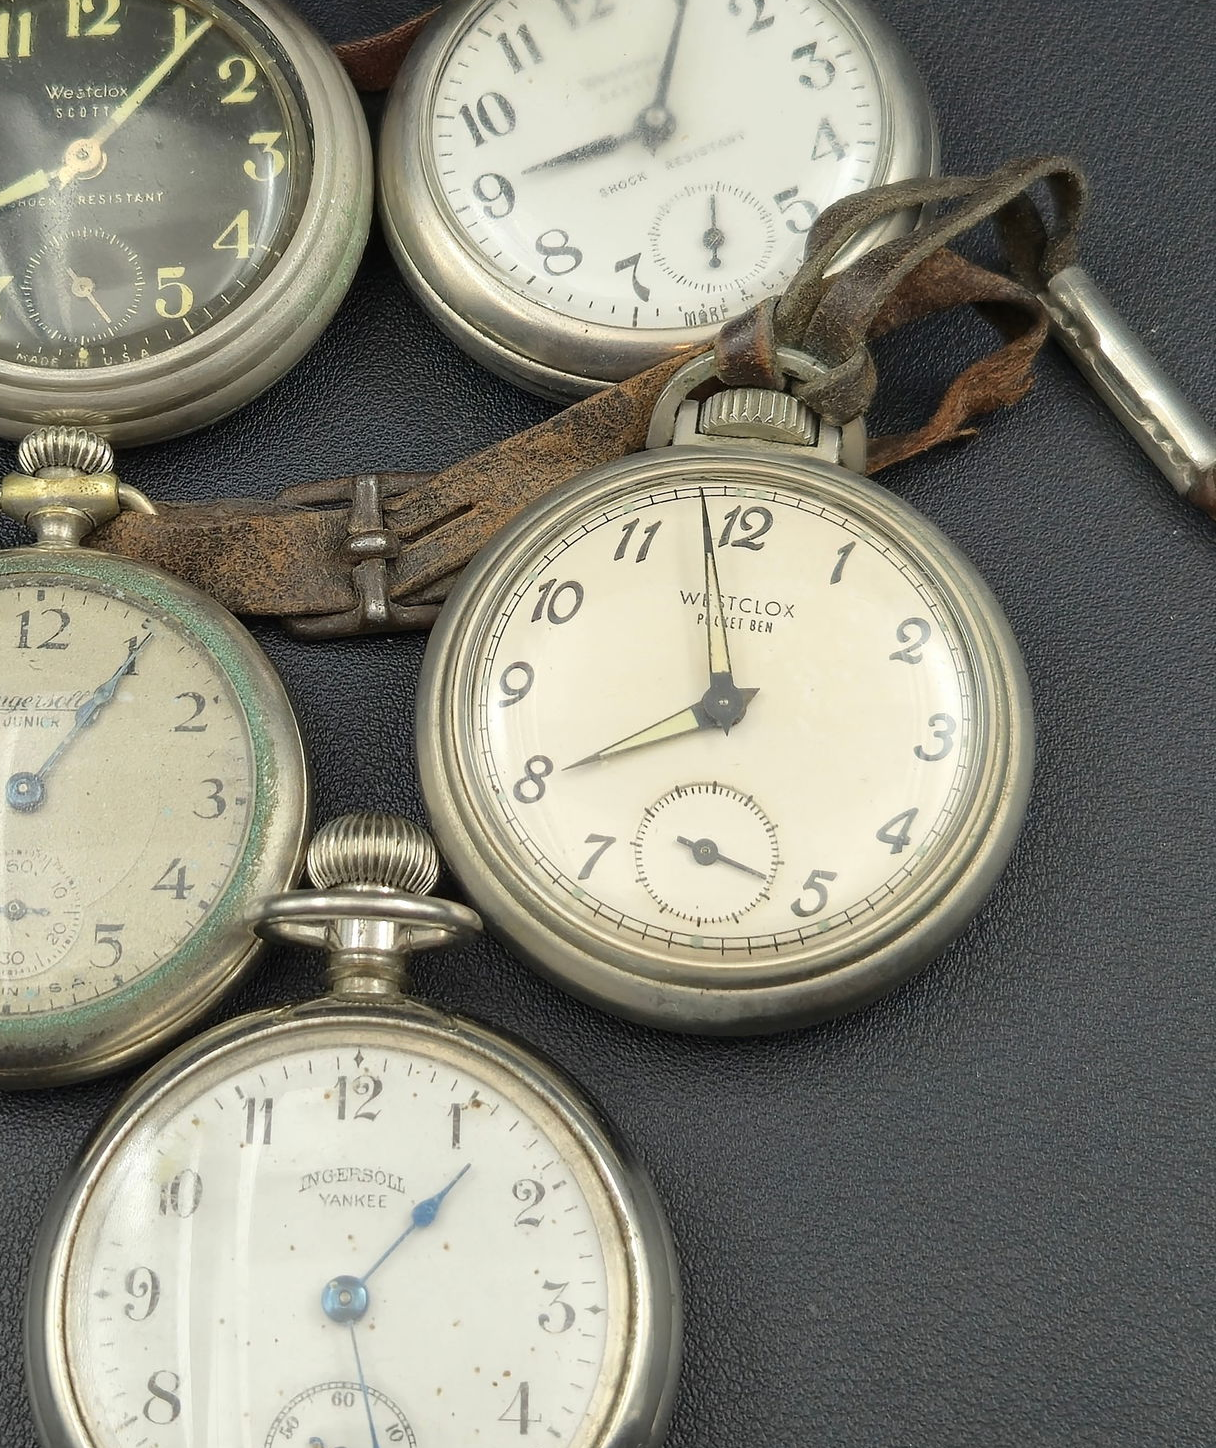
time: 7:58
